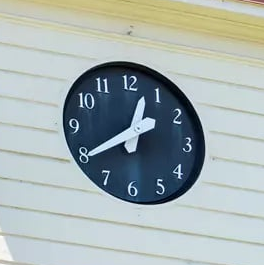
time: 12:39
